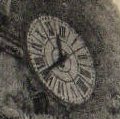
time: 11:37
